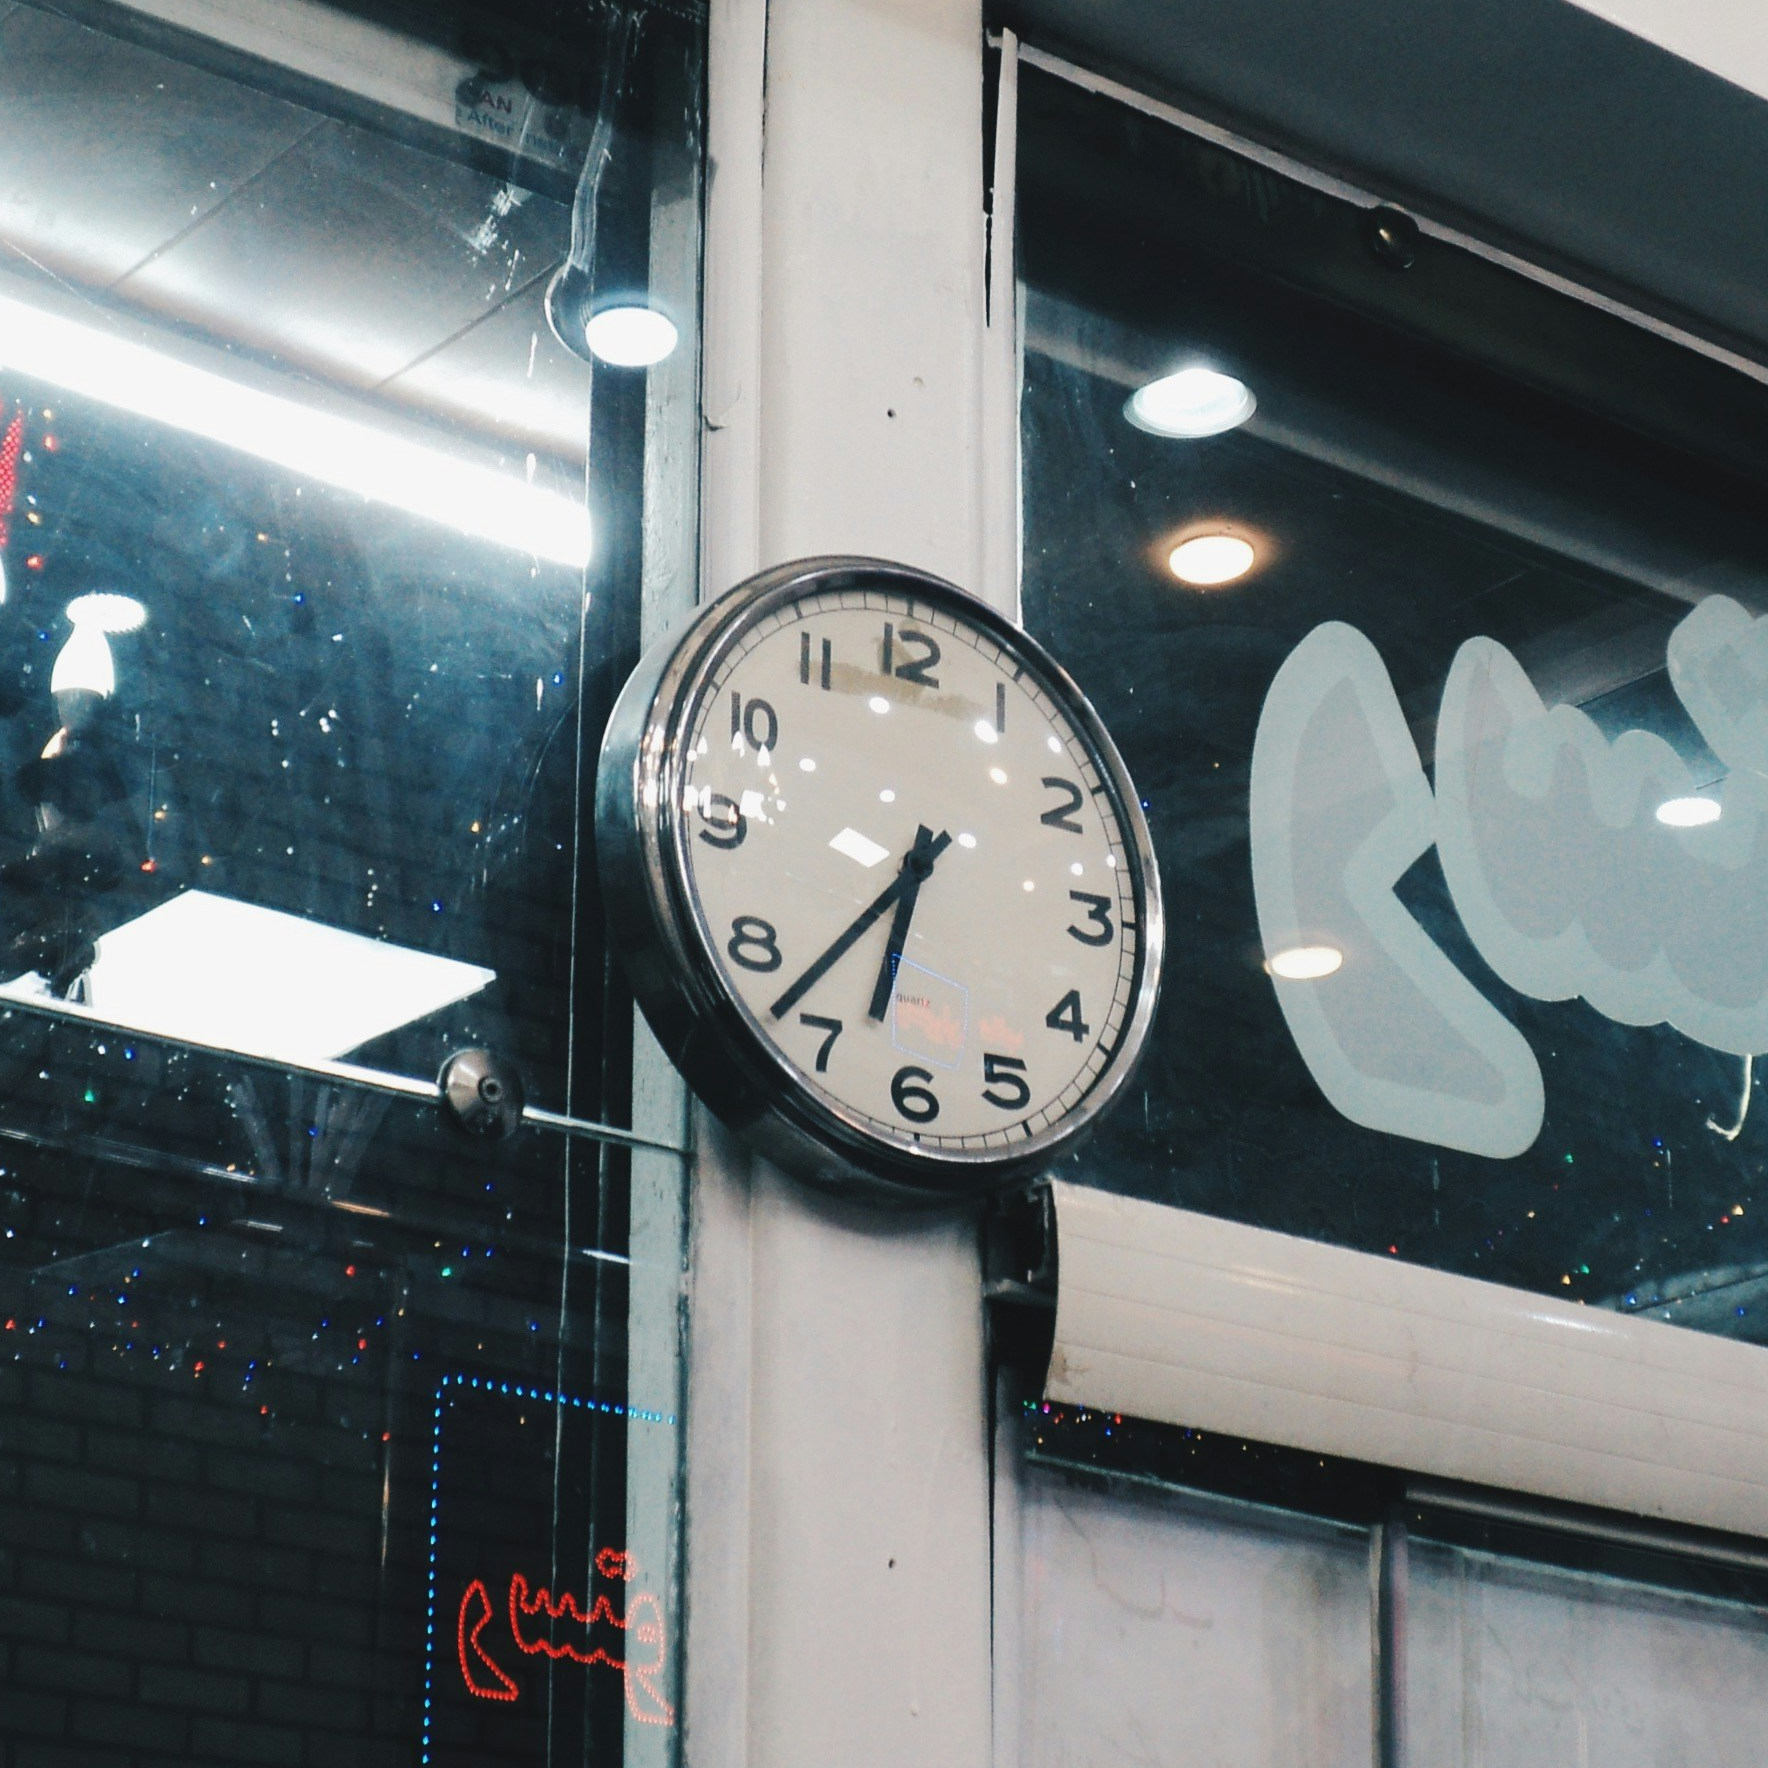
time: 6:37
